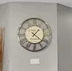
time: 1:21
